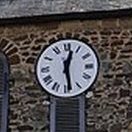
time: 12:28
